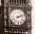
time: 2:12
